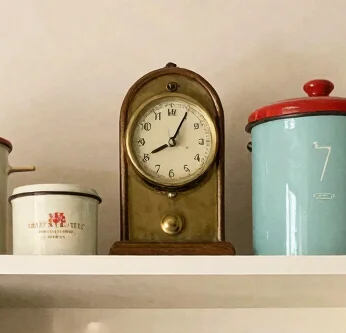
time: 8:04
